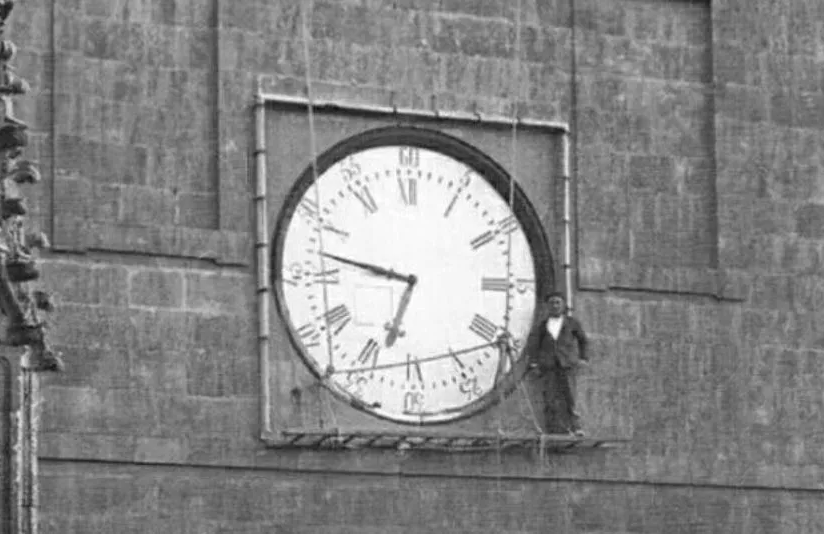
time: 6:47
